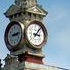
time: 3:06
